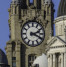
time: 2:18
